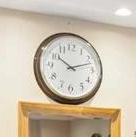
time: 10:12
